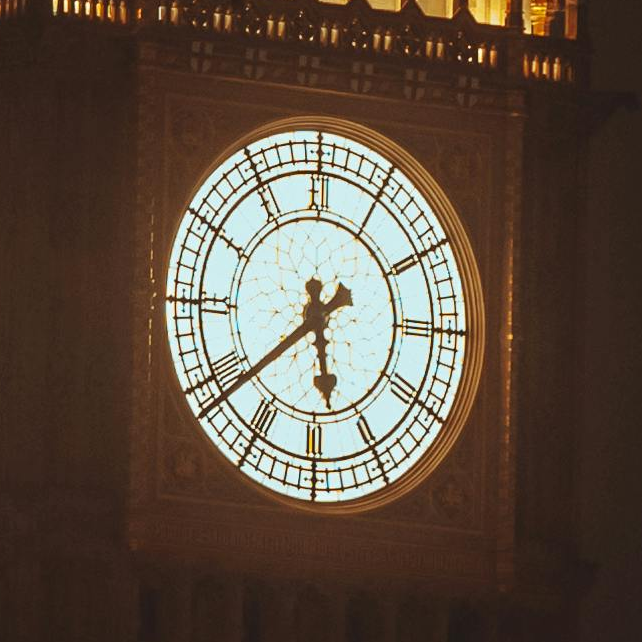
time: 5:38
